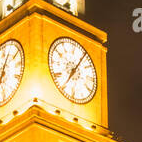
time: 7:05
